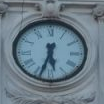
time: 5:33
